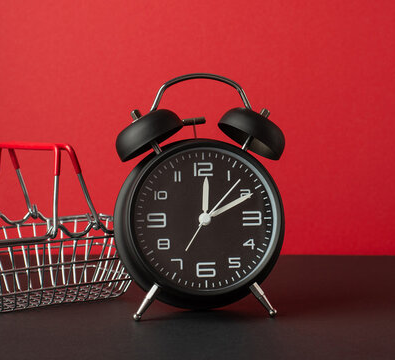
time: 12:10
